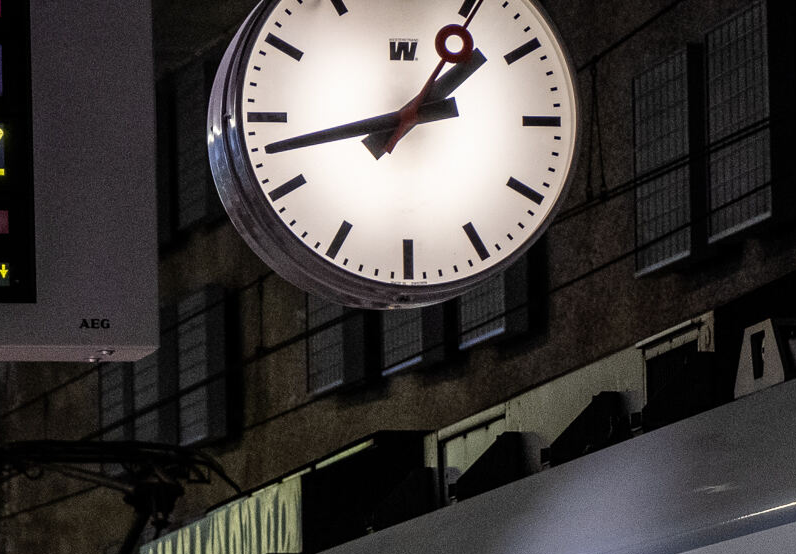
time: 1:42
